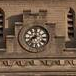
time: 8:01
